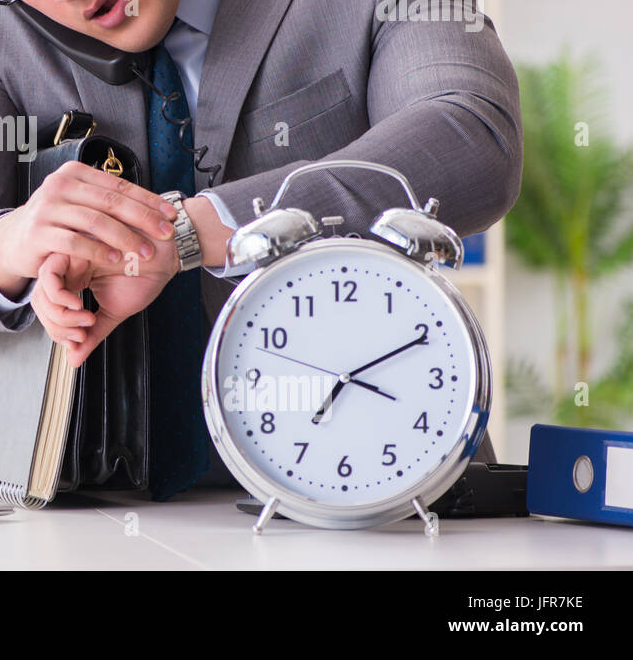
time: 7:10
